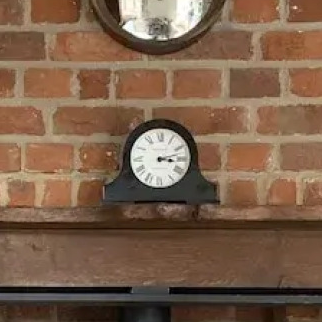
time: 3:12
